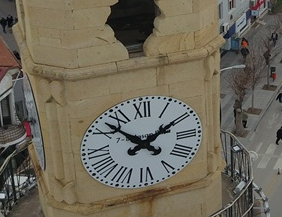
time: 1:52
